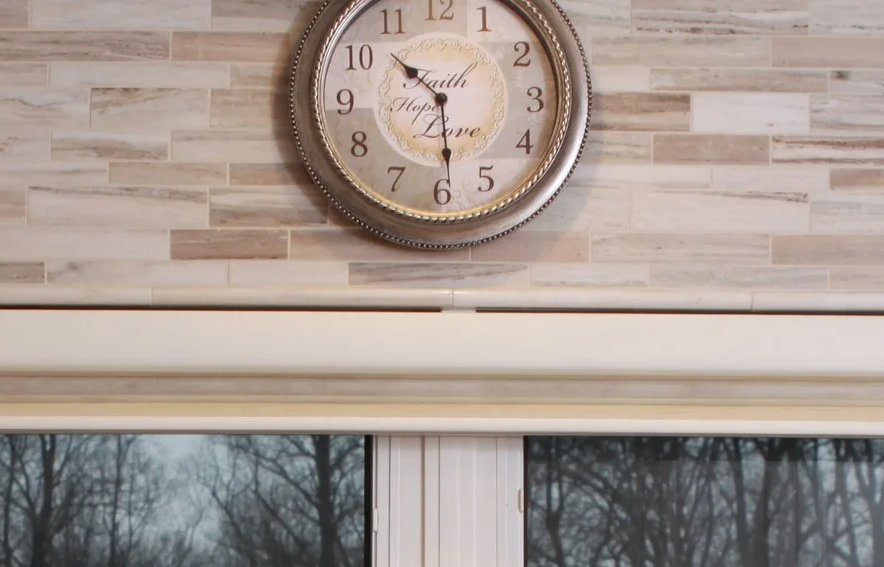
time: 10:29
